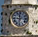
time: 11:32
